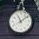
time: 11:09
